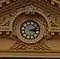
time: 3:12
